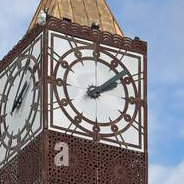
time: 2:08
